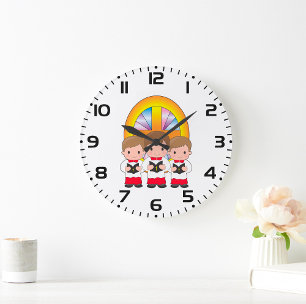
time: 1:49
